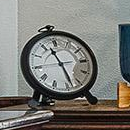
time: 11:28
